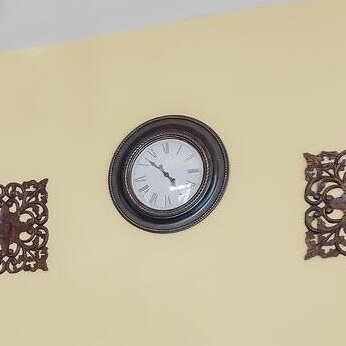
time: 4:52
